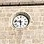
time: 5:46
